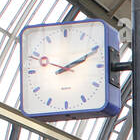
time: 2:10
